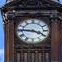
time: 3:46
